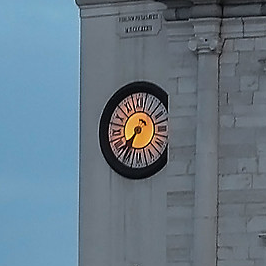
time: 7:35
